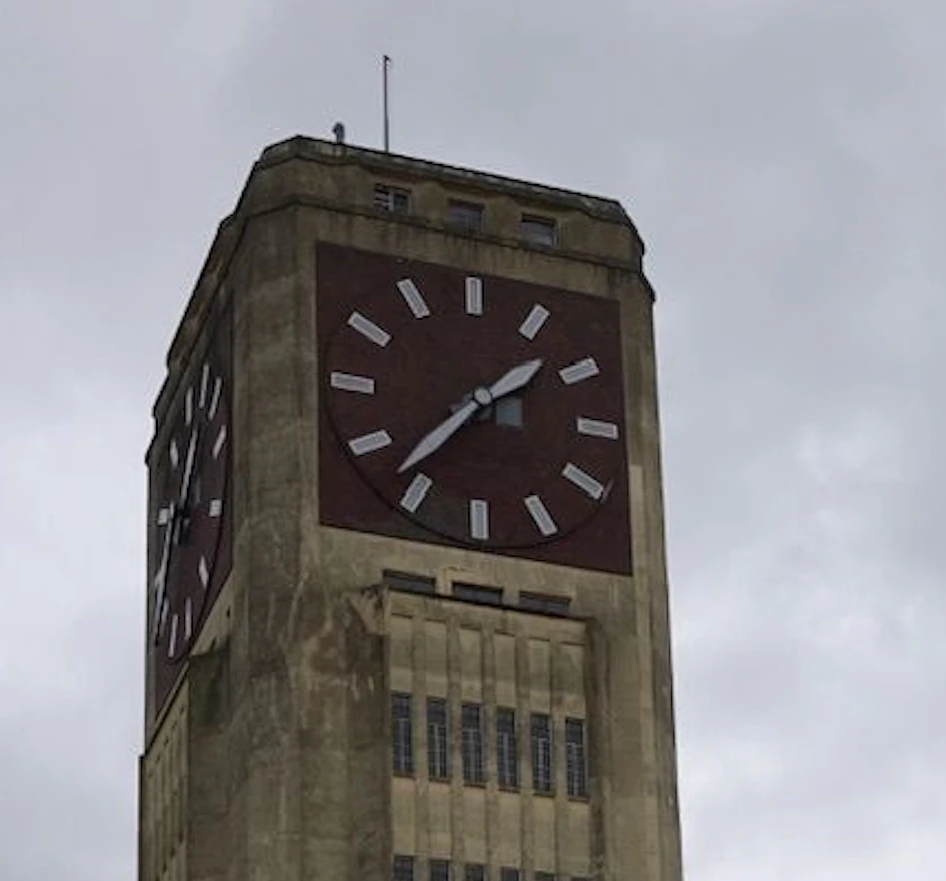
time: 1:36
